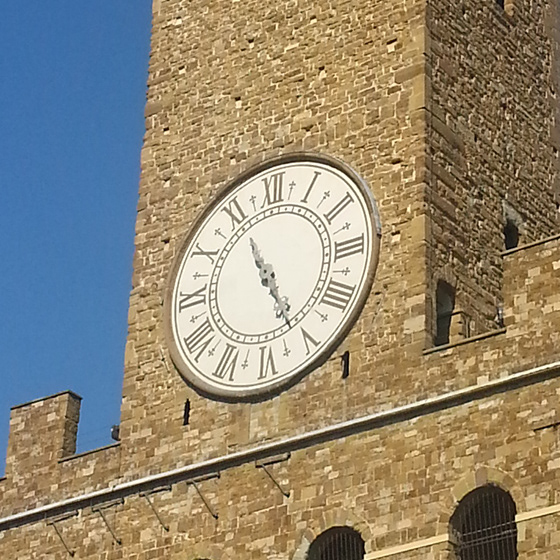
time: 4:55
